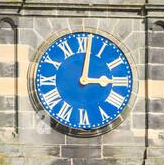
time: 3:01
